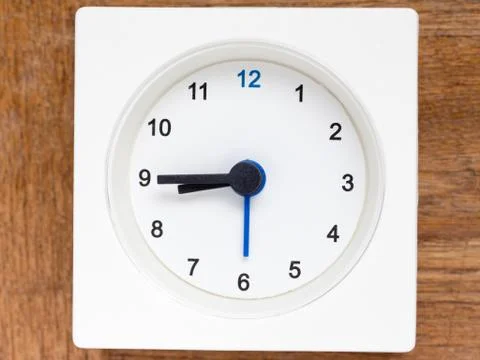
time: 8:45
